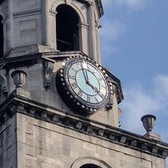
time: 3:58
